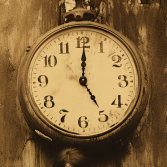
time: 5:00
